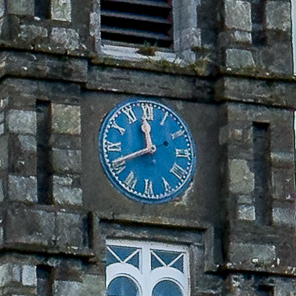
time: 11:41
